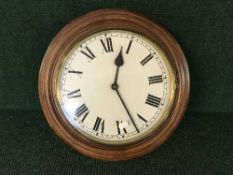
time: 12:27
